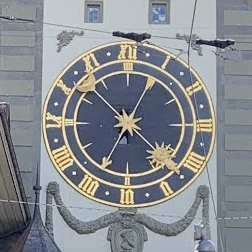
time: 4:34
